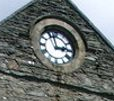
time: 2:57
